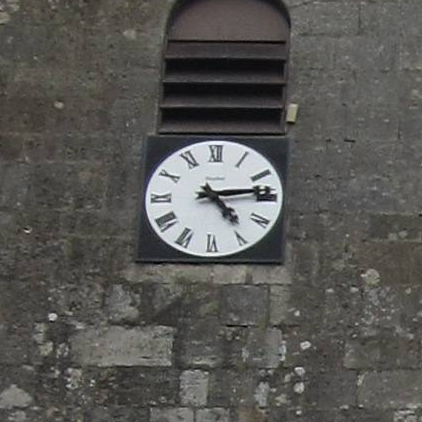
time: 4:13
